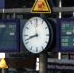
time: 8:42
